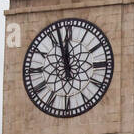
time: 11:57
